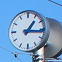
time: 1:16
